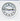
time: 2:46
